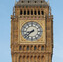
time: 8:38
